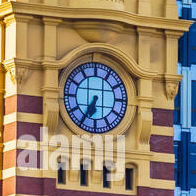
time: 6:34
